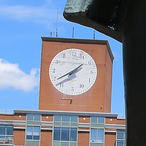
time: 1:39
